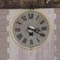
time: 3:20
